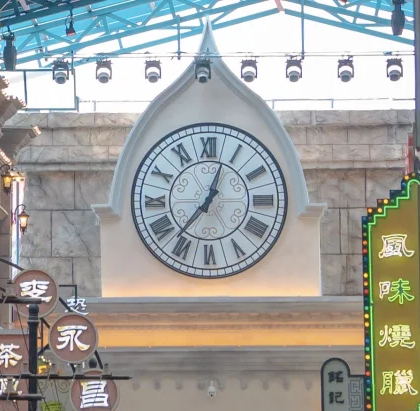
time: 12:36
